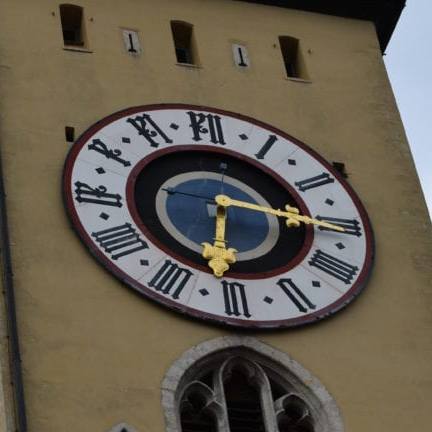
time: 6:15
